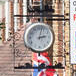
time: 3:02
